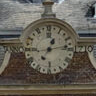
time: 1:13
